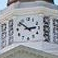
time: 2:52
